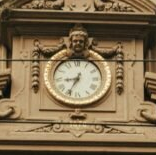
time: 8:34
